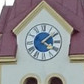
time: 4:08
